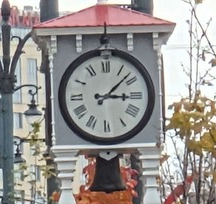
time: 3:07
